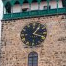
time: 1:16
